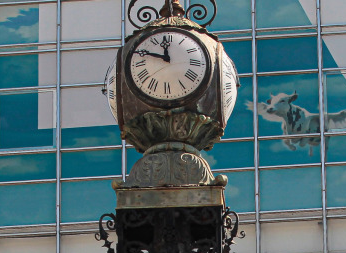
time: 11:48
